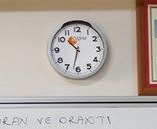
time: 10:32
